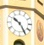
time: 10:24
